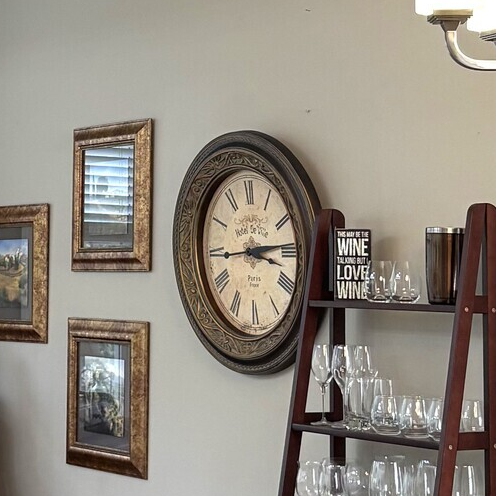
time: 3:13
